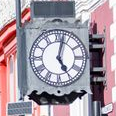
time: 5:02
